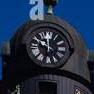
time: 11:49
